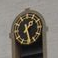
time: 1:26
